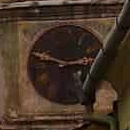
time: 2:48
